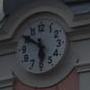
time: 5:50
